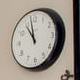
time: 10:58
